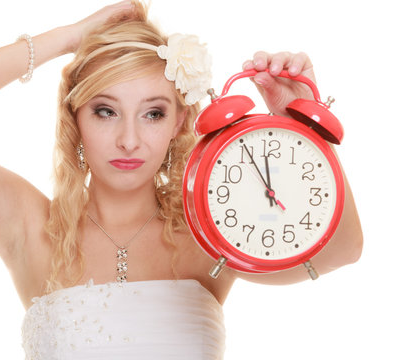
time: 11:55
